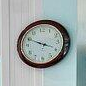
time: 3:49
